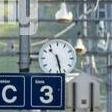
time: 10:28
